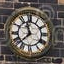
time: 11:37
